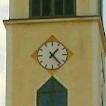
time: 1:23
